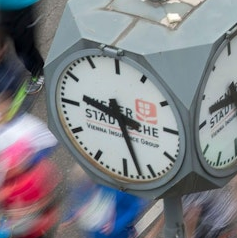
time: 9:27
